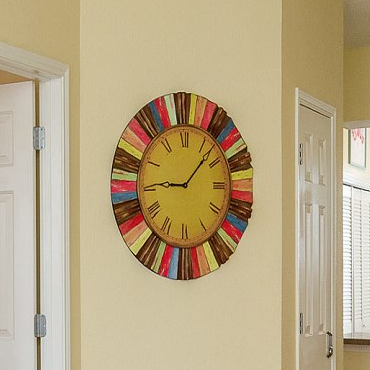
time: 9:07
